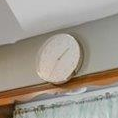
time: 1:34
